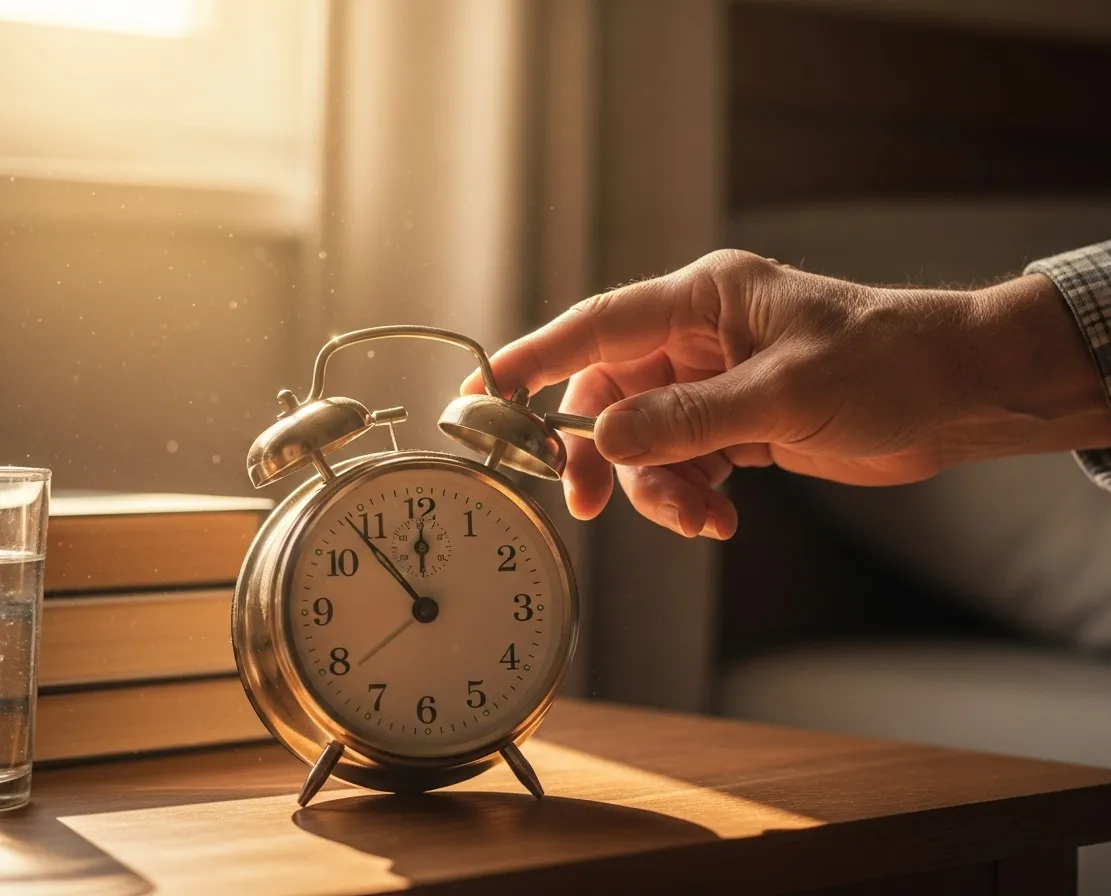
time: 11:53
